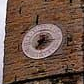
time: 7:15
